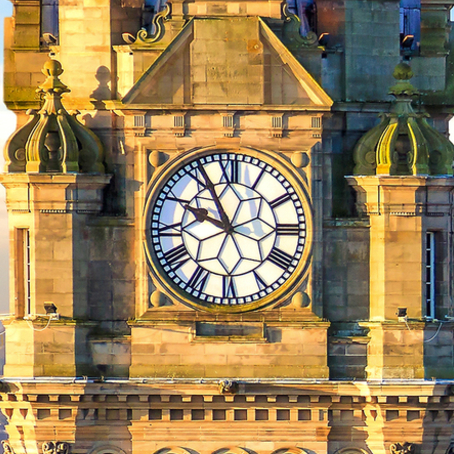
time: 9:55
